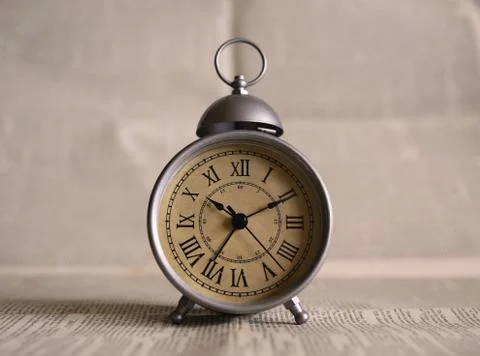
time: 10:10
